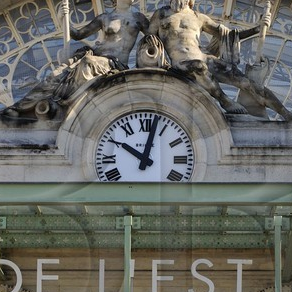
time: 10:02
